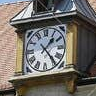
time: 1:23
